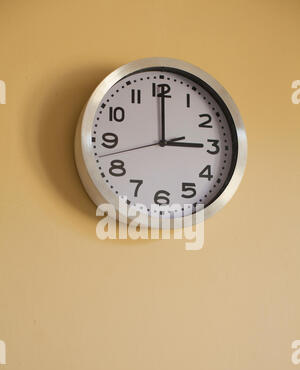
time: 2:59
